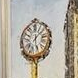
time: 12:07
